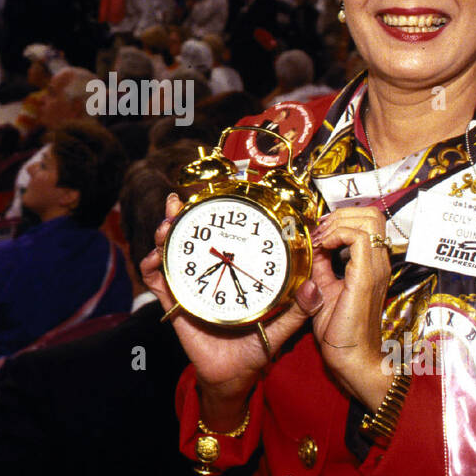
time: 7:24
